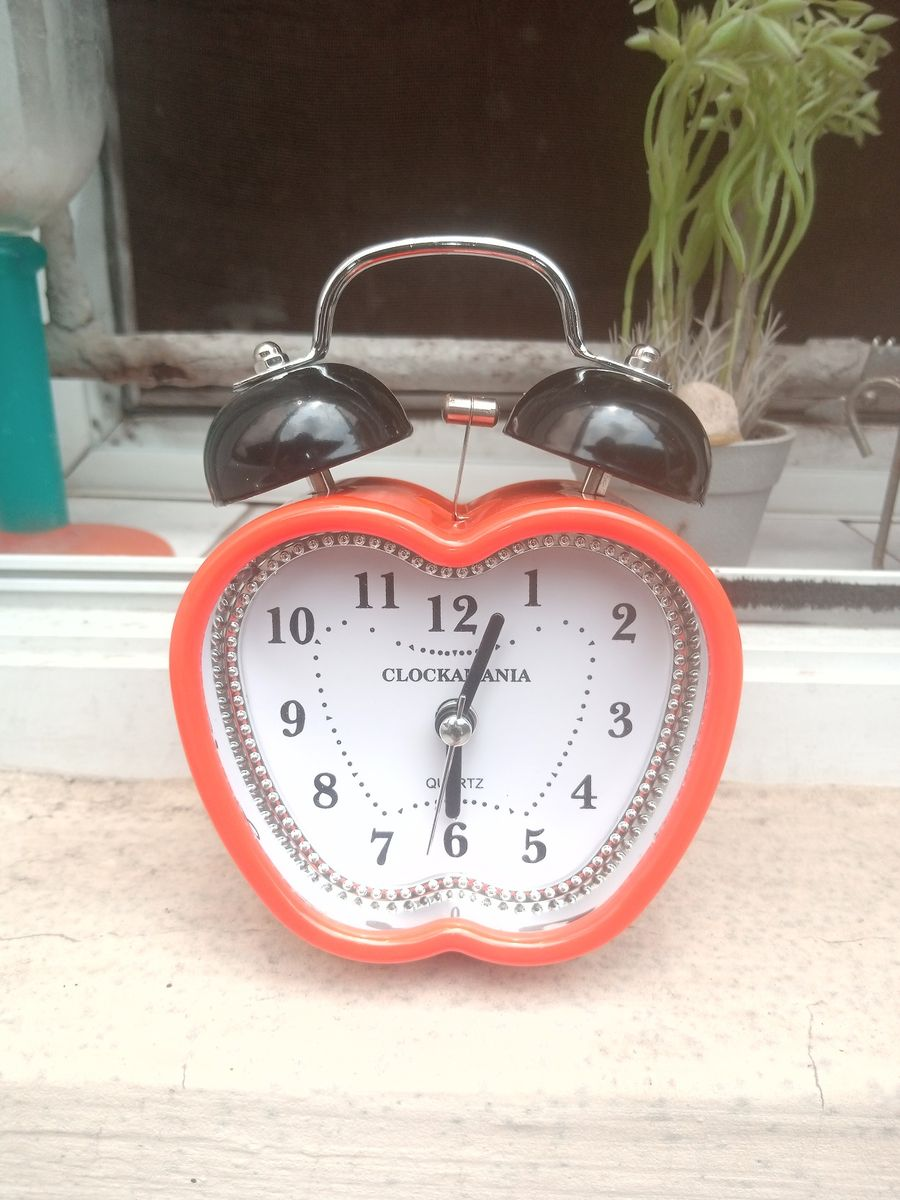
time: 6:03
